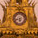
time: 5:42
